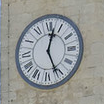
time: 12:26
